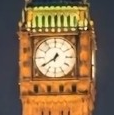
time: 12:39
